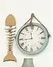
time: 11:44
